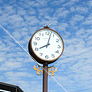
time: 8:02
